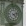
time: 4:12
